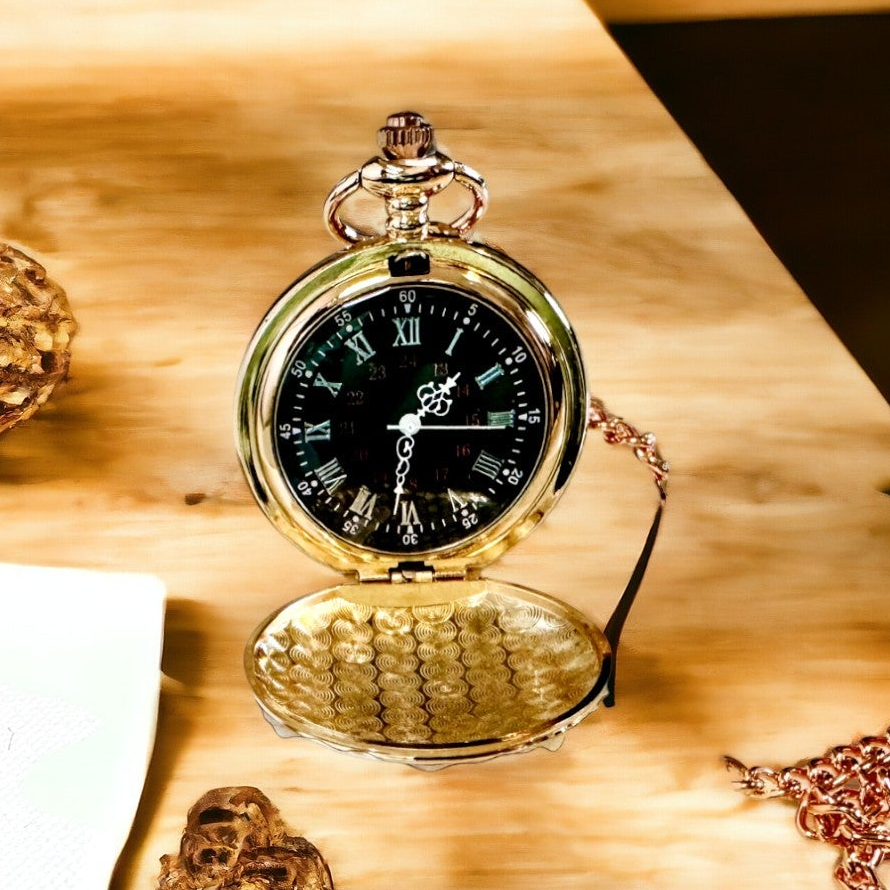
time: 1:32
